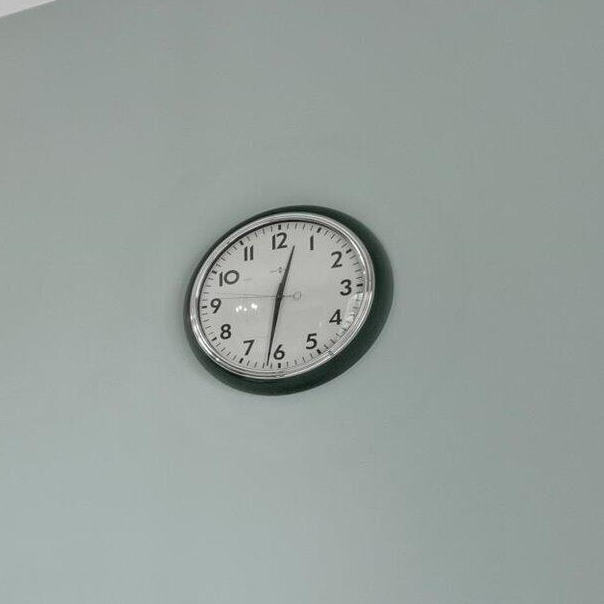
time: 12:31
